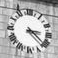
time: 3:22
